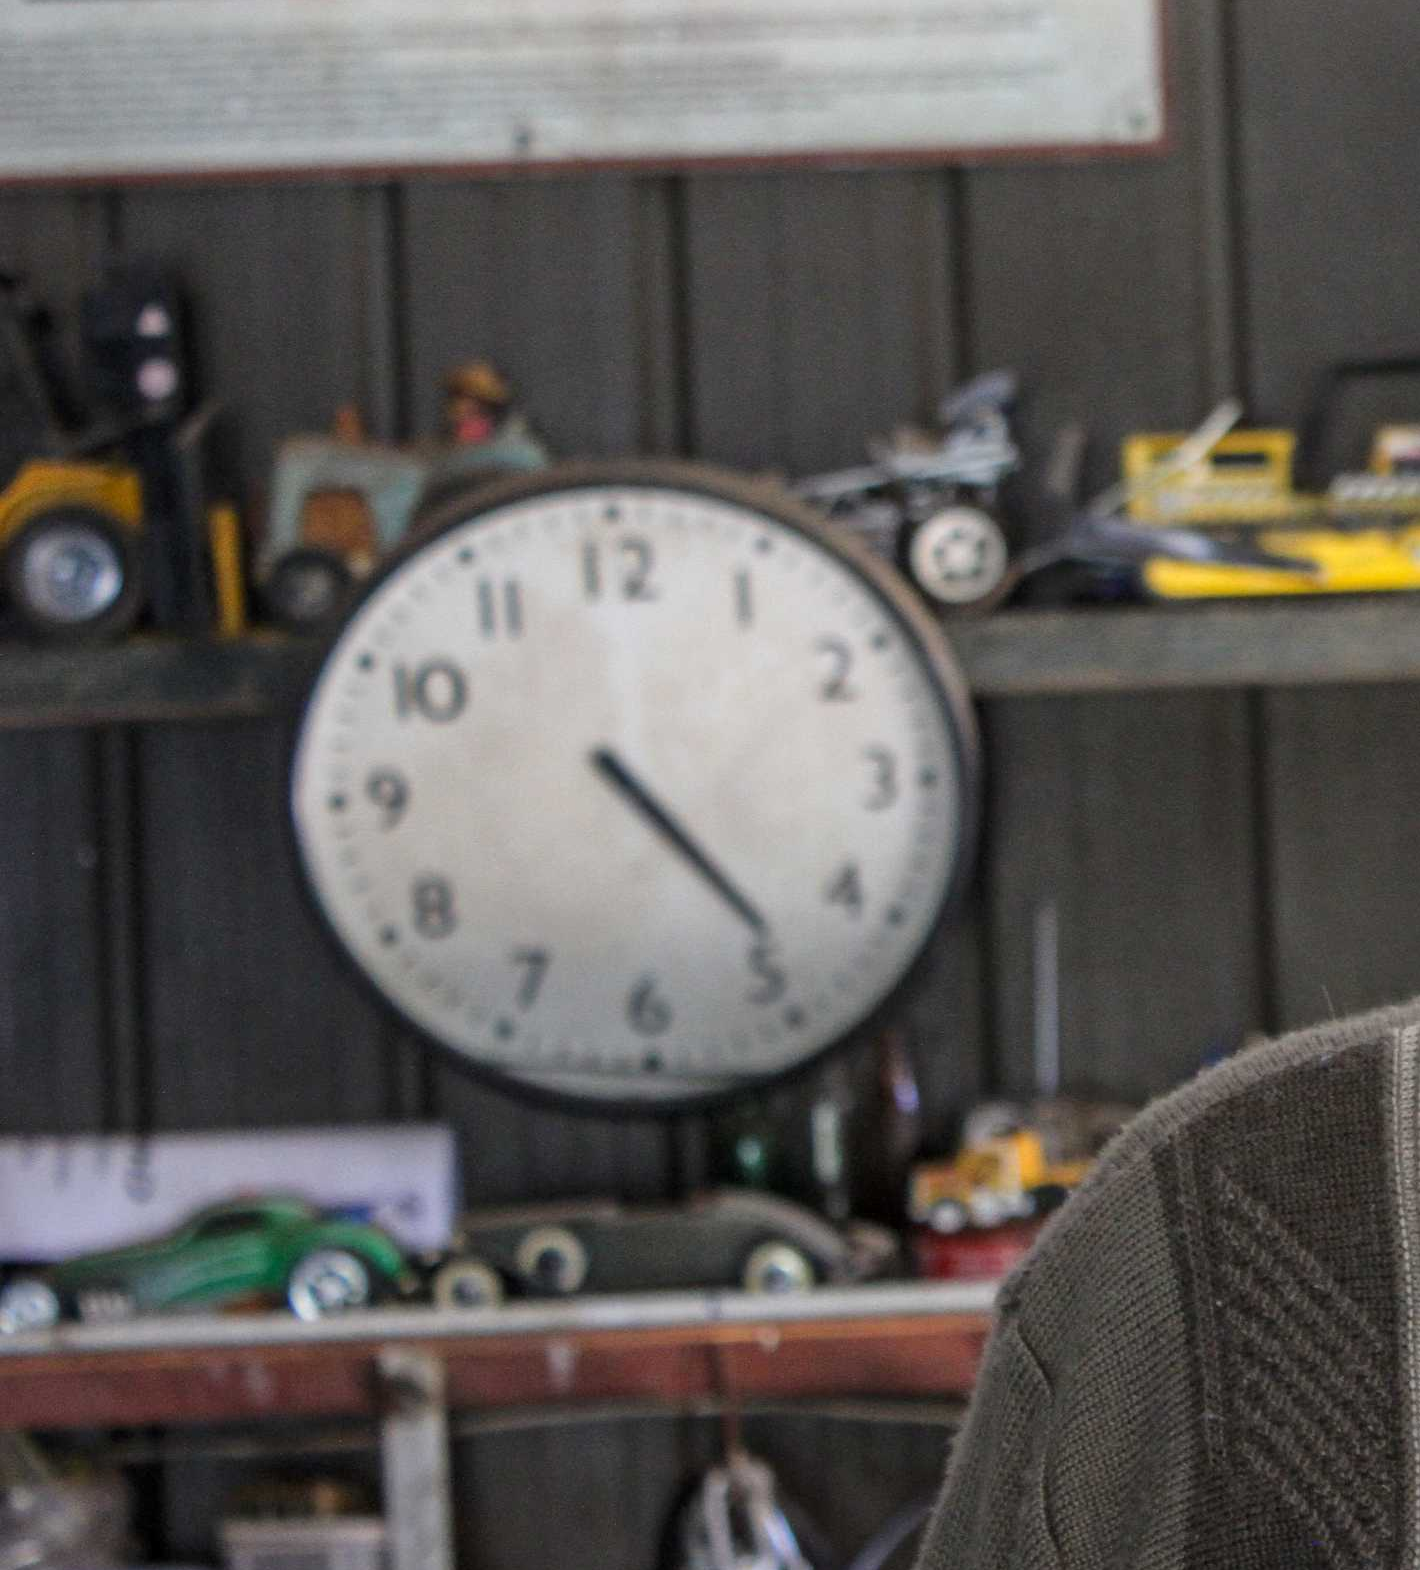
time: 4:23
